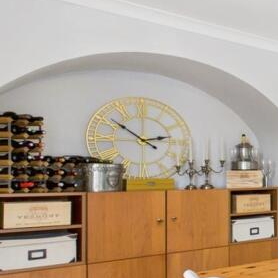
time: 2:50
